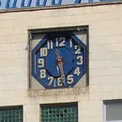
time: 11:28
